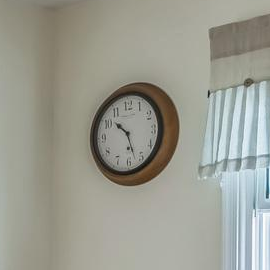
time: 10:27
